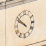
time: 9:51
